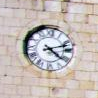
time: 4:12
